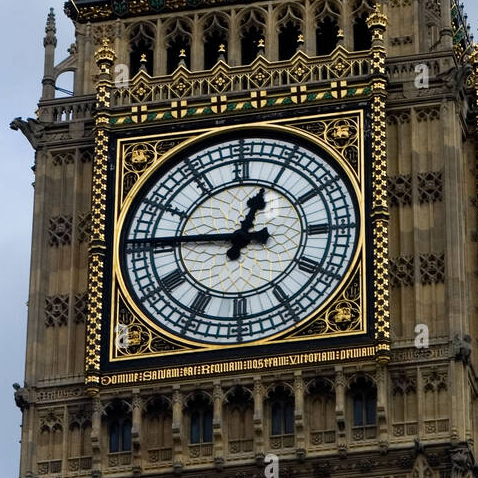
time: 12:46
